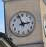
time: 2:56
